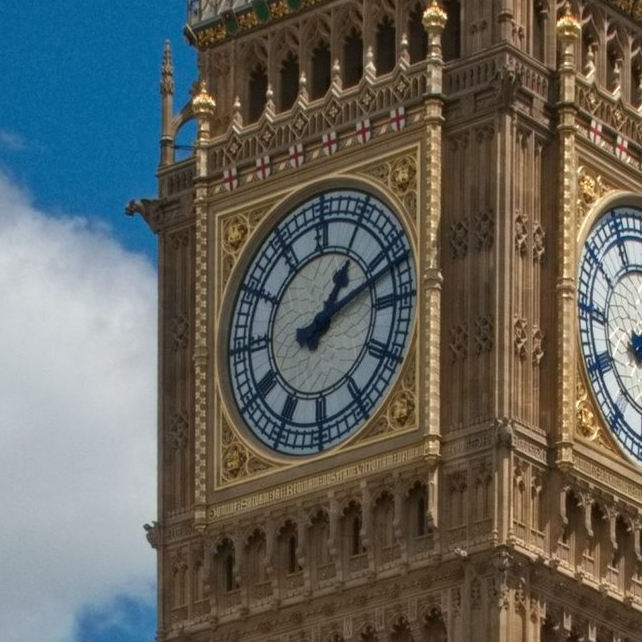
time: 1:11
